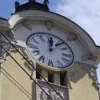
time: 12:07
